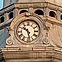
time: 10:28
